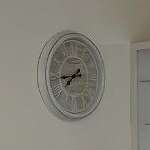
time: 7:44
